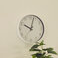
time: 10:02
